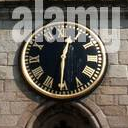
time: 12:30
